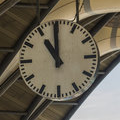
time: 10:59
